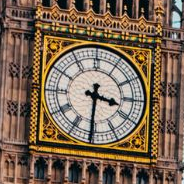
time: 3:30
